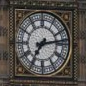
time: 7:13
